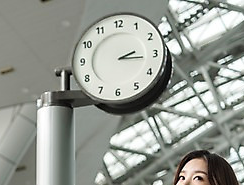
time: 2:15
